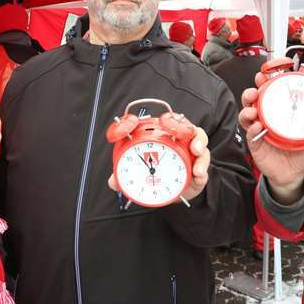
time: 11:53
